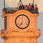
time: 6:36
